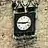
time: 2:46
